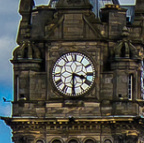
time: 3:30
